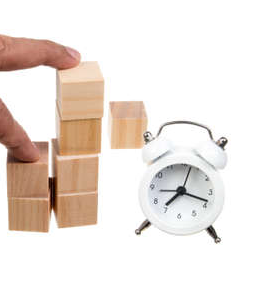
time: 7:18
